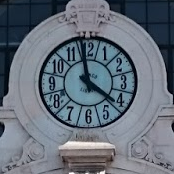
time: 3:58
